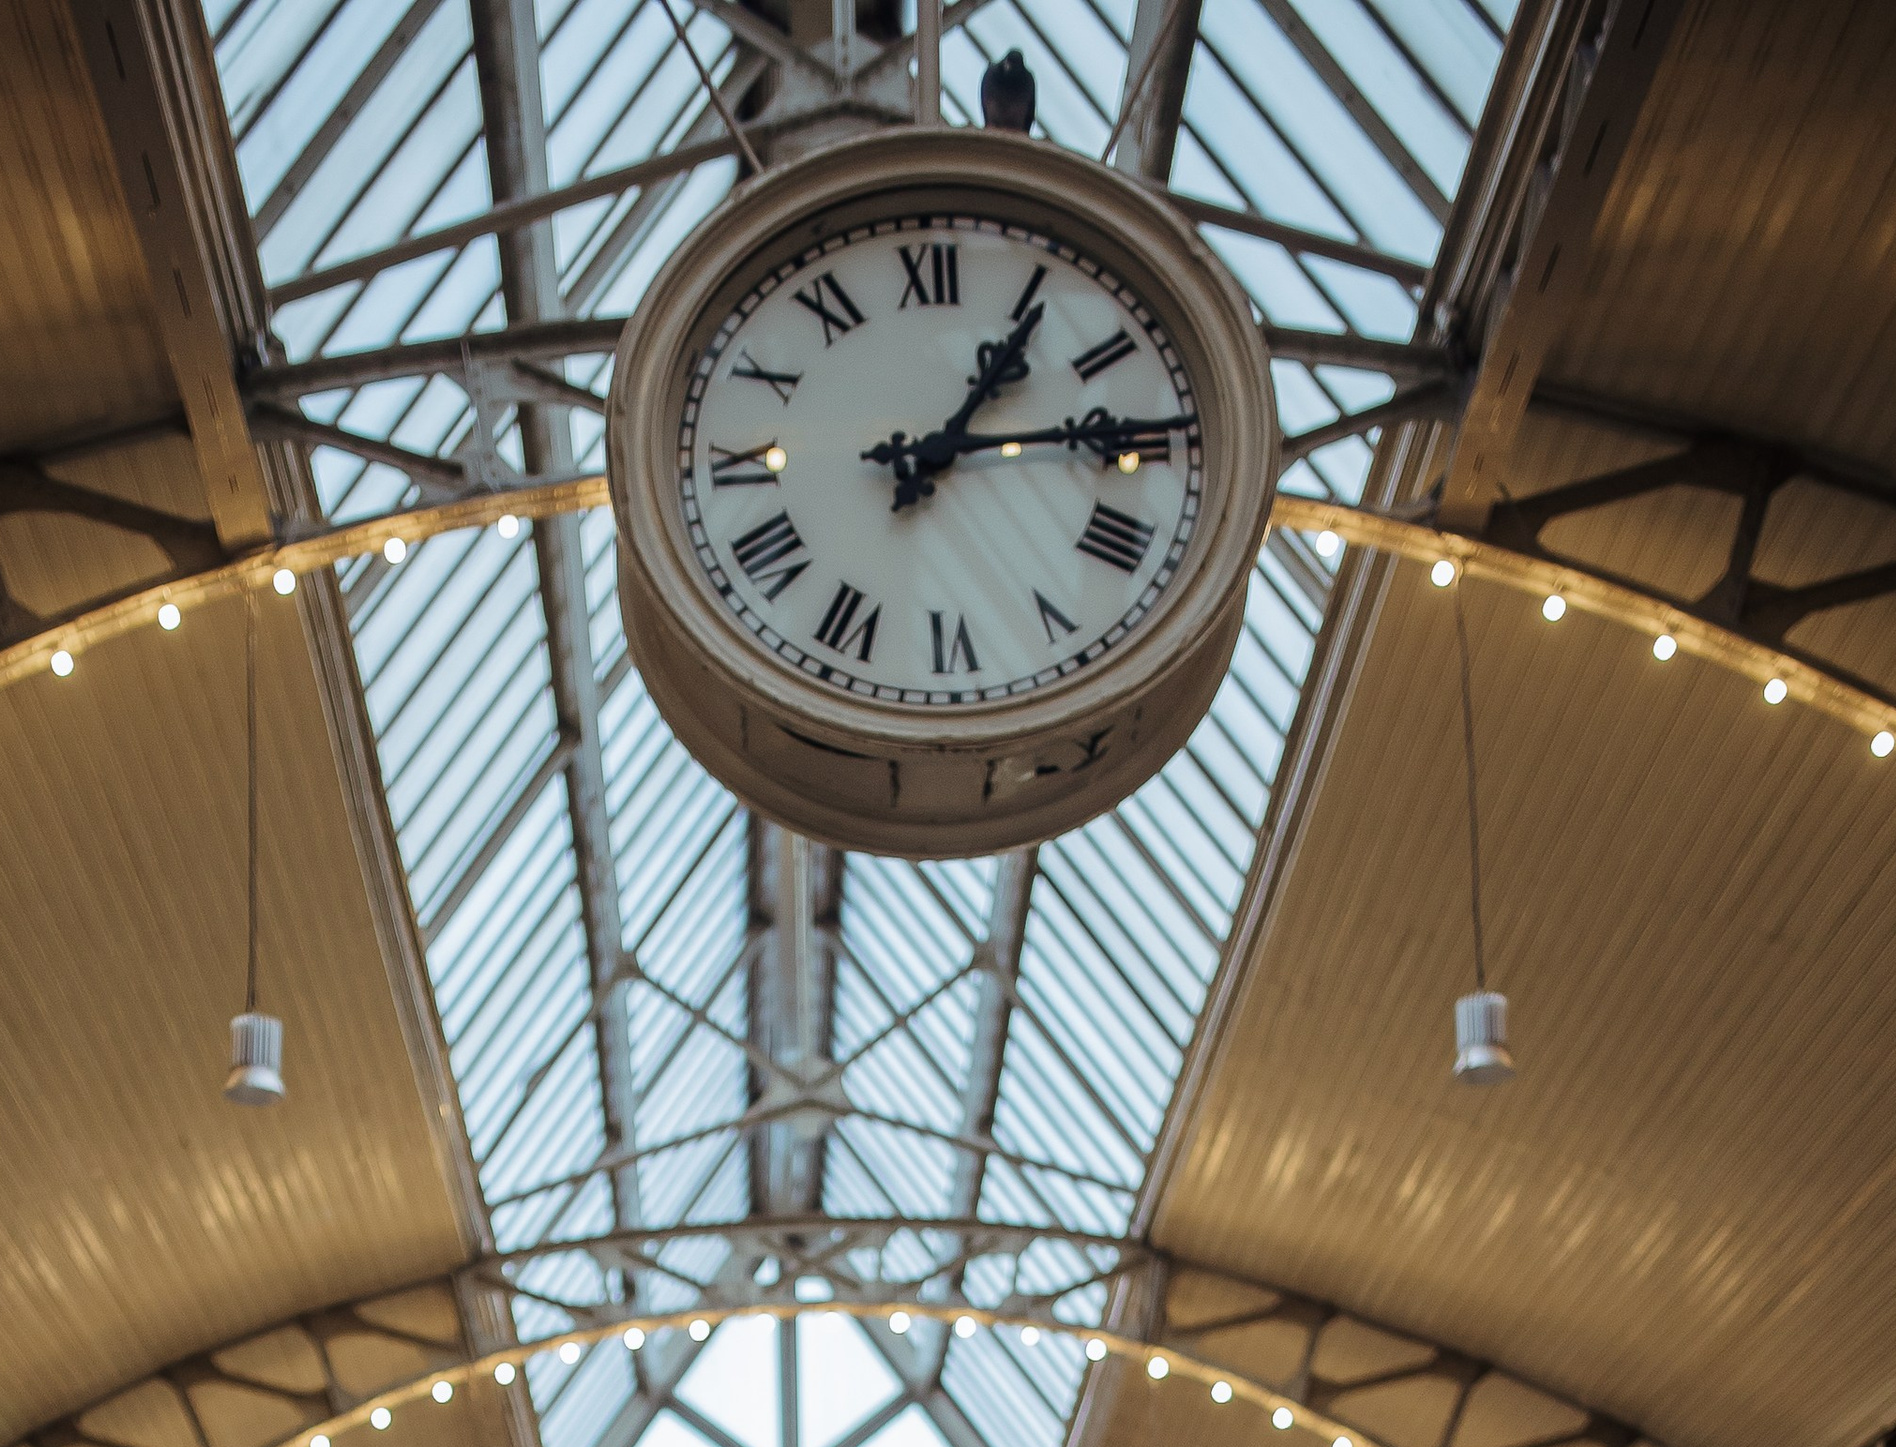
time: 1:14
